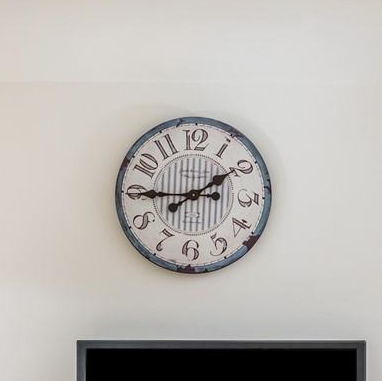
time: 1:45
